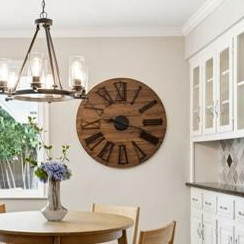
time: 9:17
